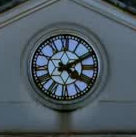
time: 4:10
